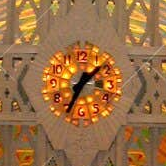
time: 1:34
